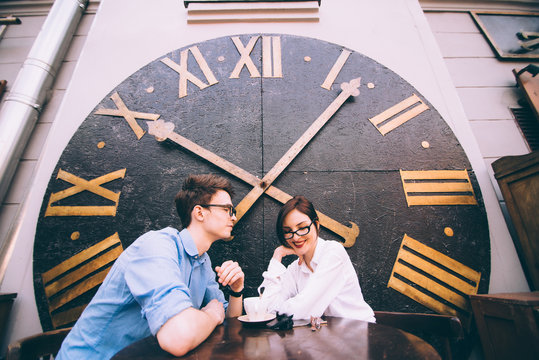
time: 10:06
